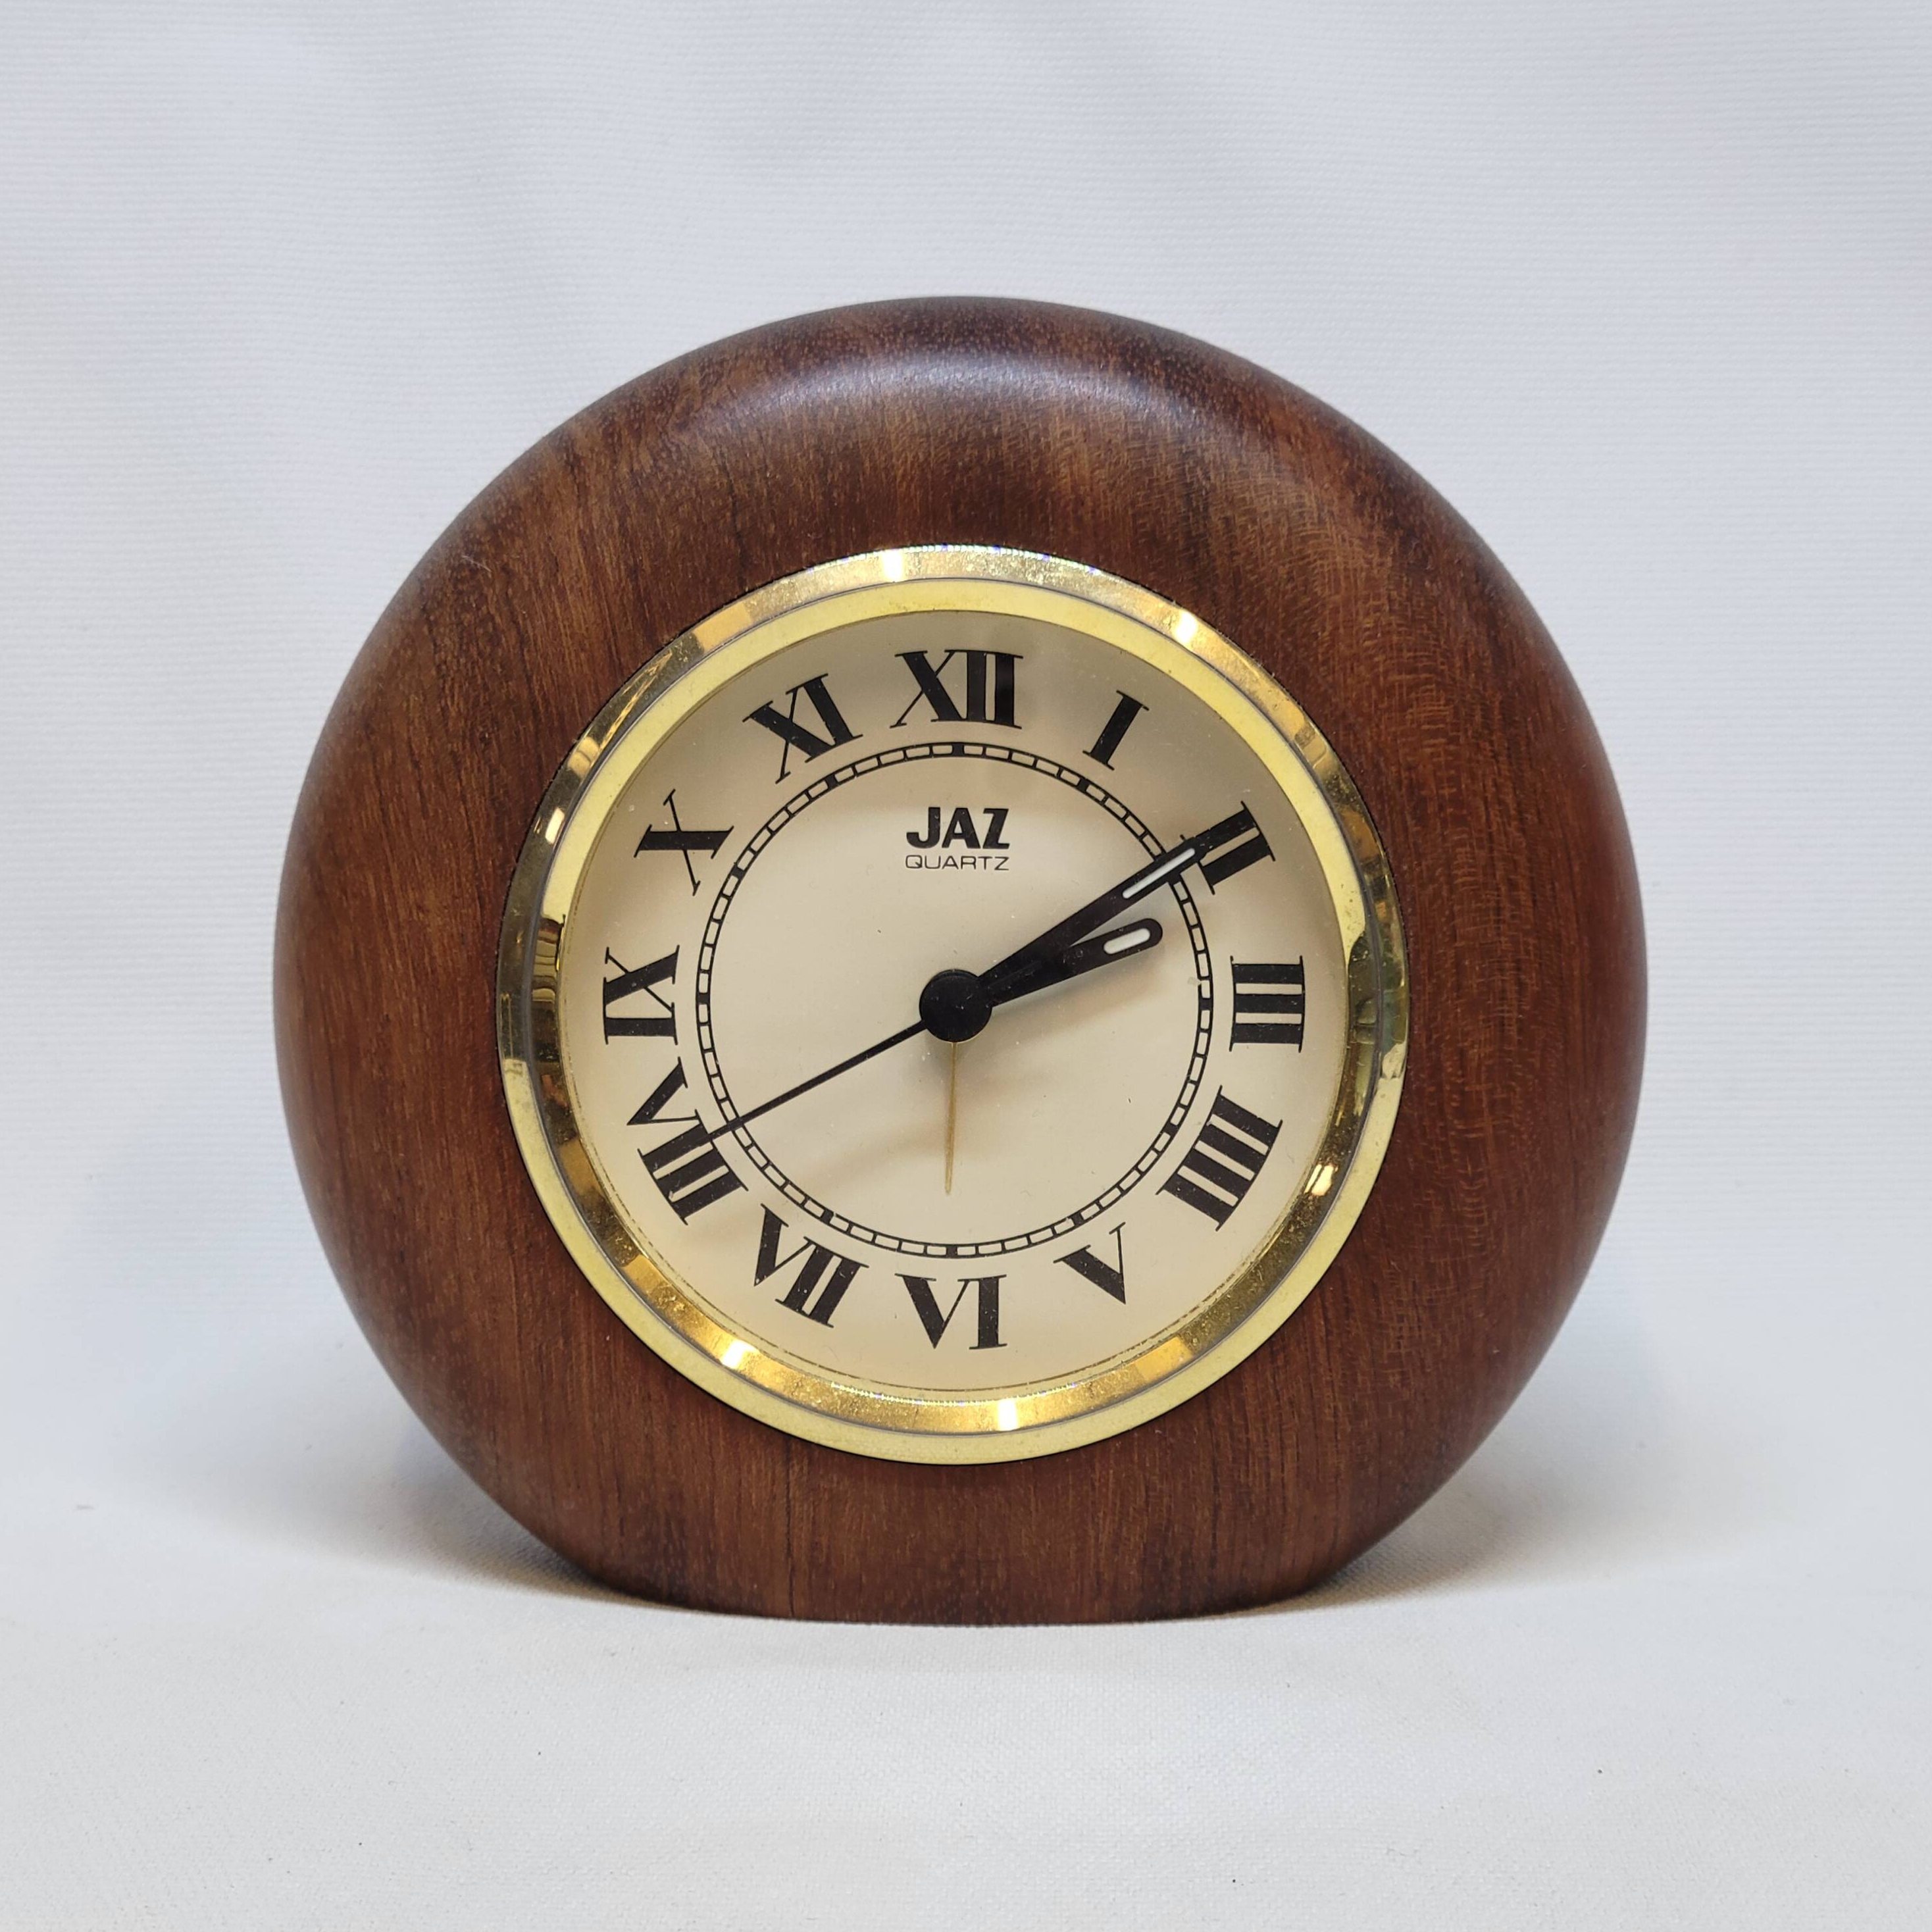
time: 2:09
